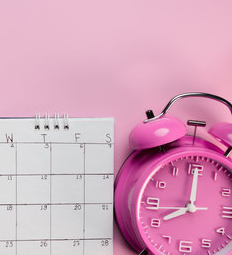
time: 8:00
